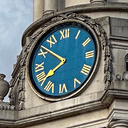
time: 7:51
